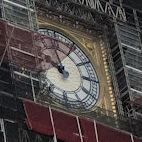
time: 9:57
